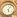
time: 5:06
